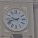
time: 9:42
